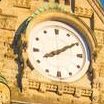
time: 8:09
